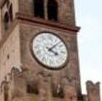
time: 4:07
